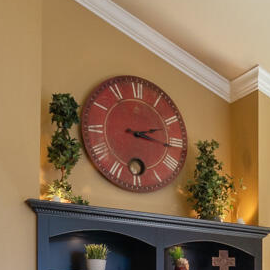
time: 2:16
